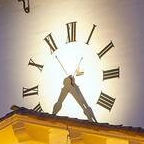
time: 6:24
